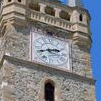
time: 2:40
